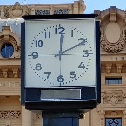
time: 12:10
